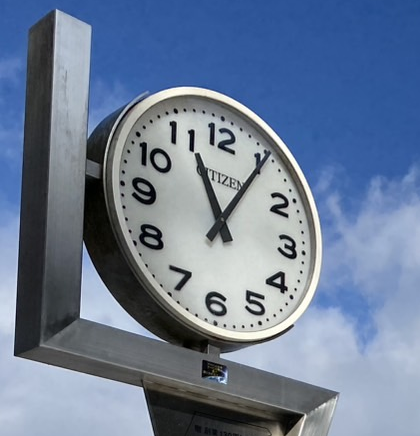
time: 11:05
